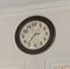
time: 2:36
